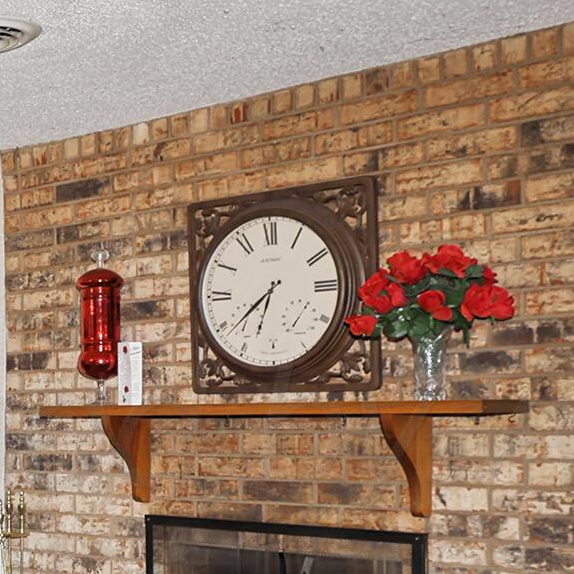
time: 6:38
